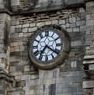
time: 7:21
